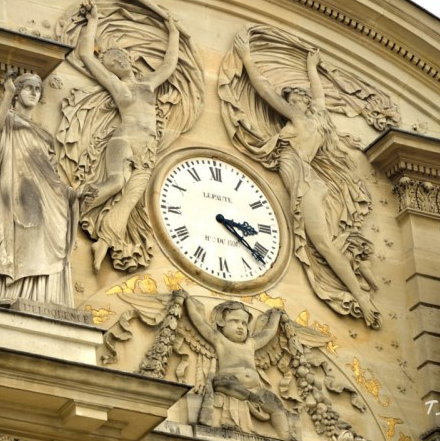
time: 3:21
